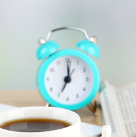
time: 7:00
